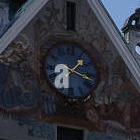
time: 1:18
